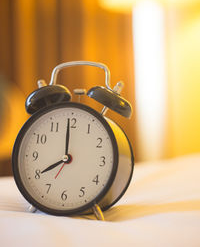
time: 7:59
